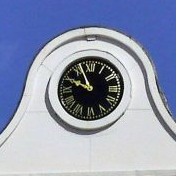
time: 9:56
